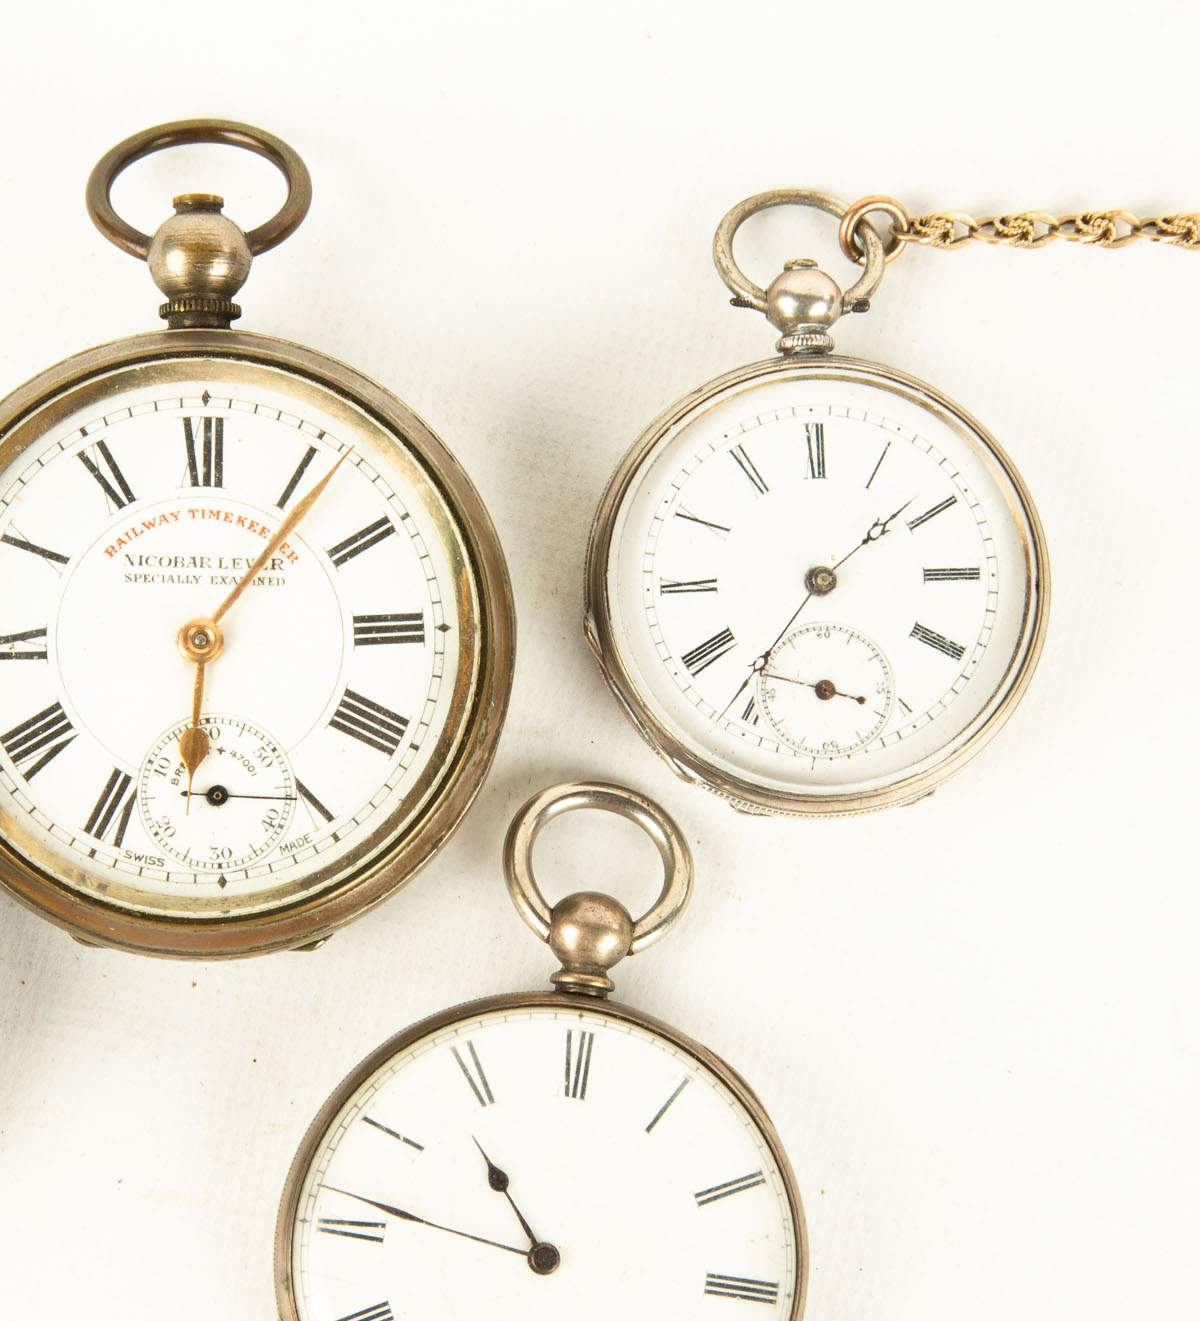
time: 1:36
